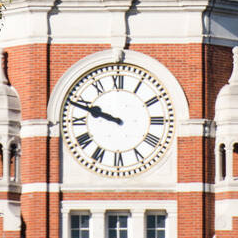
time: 9:48
